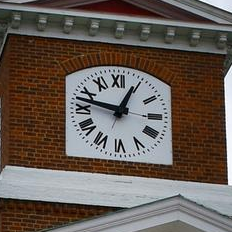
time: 12:47
